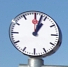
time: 1:02
